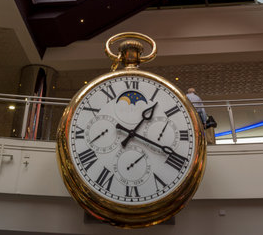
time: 1:18
